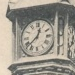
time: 12:37
